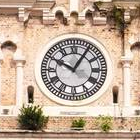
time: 10:05
